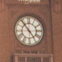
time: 4:53
